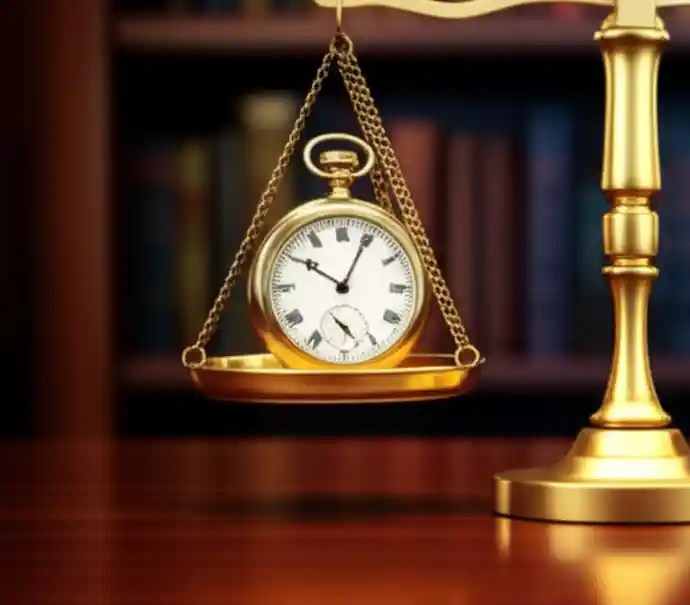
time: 10:04
